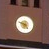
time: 4:47
